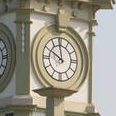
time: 9:59
